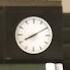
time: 8:09
